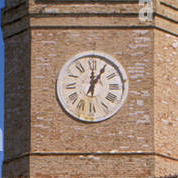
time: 12:05
